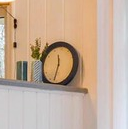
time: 11:31
